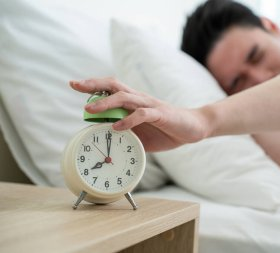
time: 8:00
